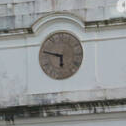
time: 5:47
